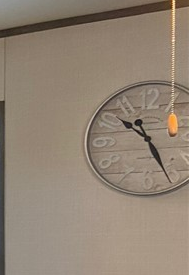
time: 10:25
